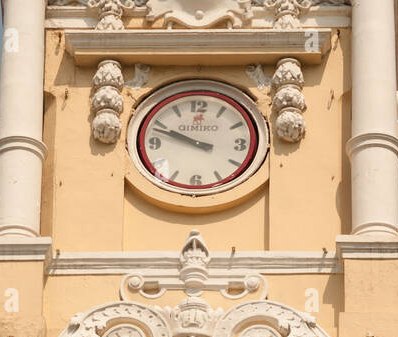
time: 9:48
